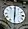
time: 6:00
